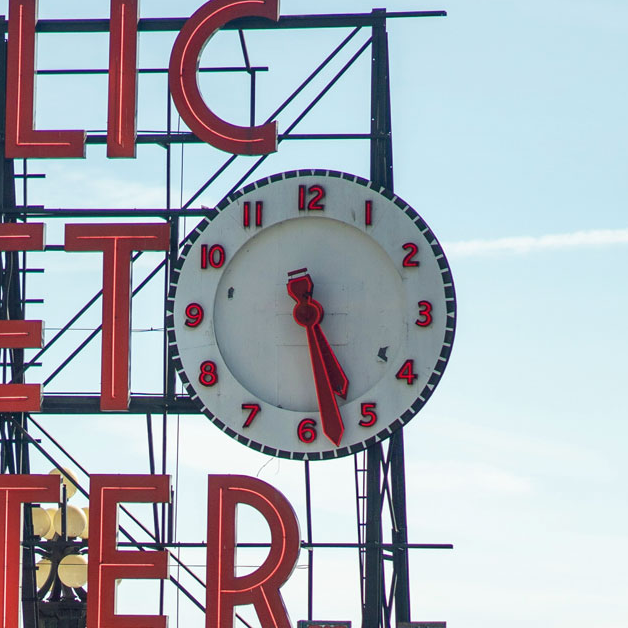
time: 5:28
